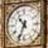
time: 10:34
